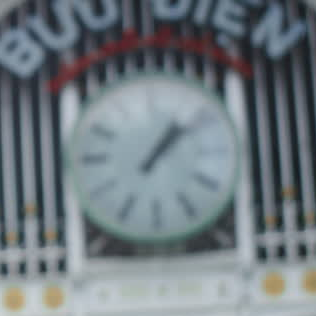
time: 1:08
